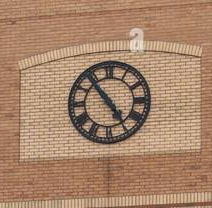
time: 4:53
